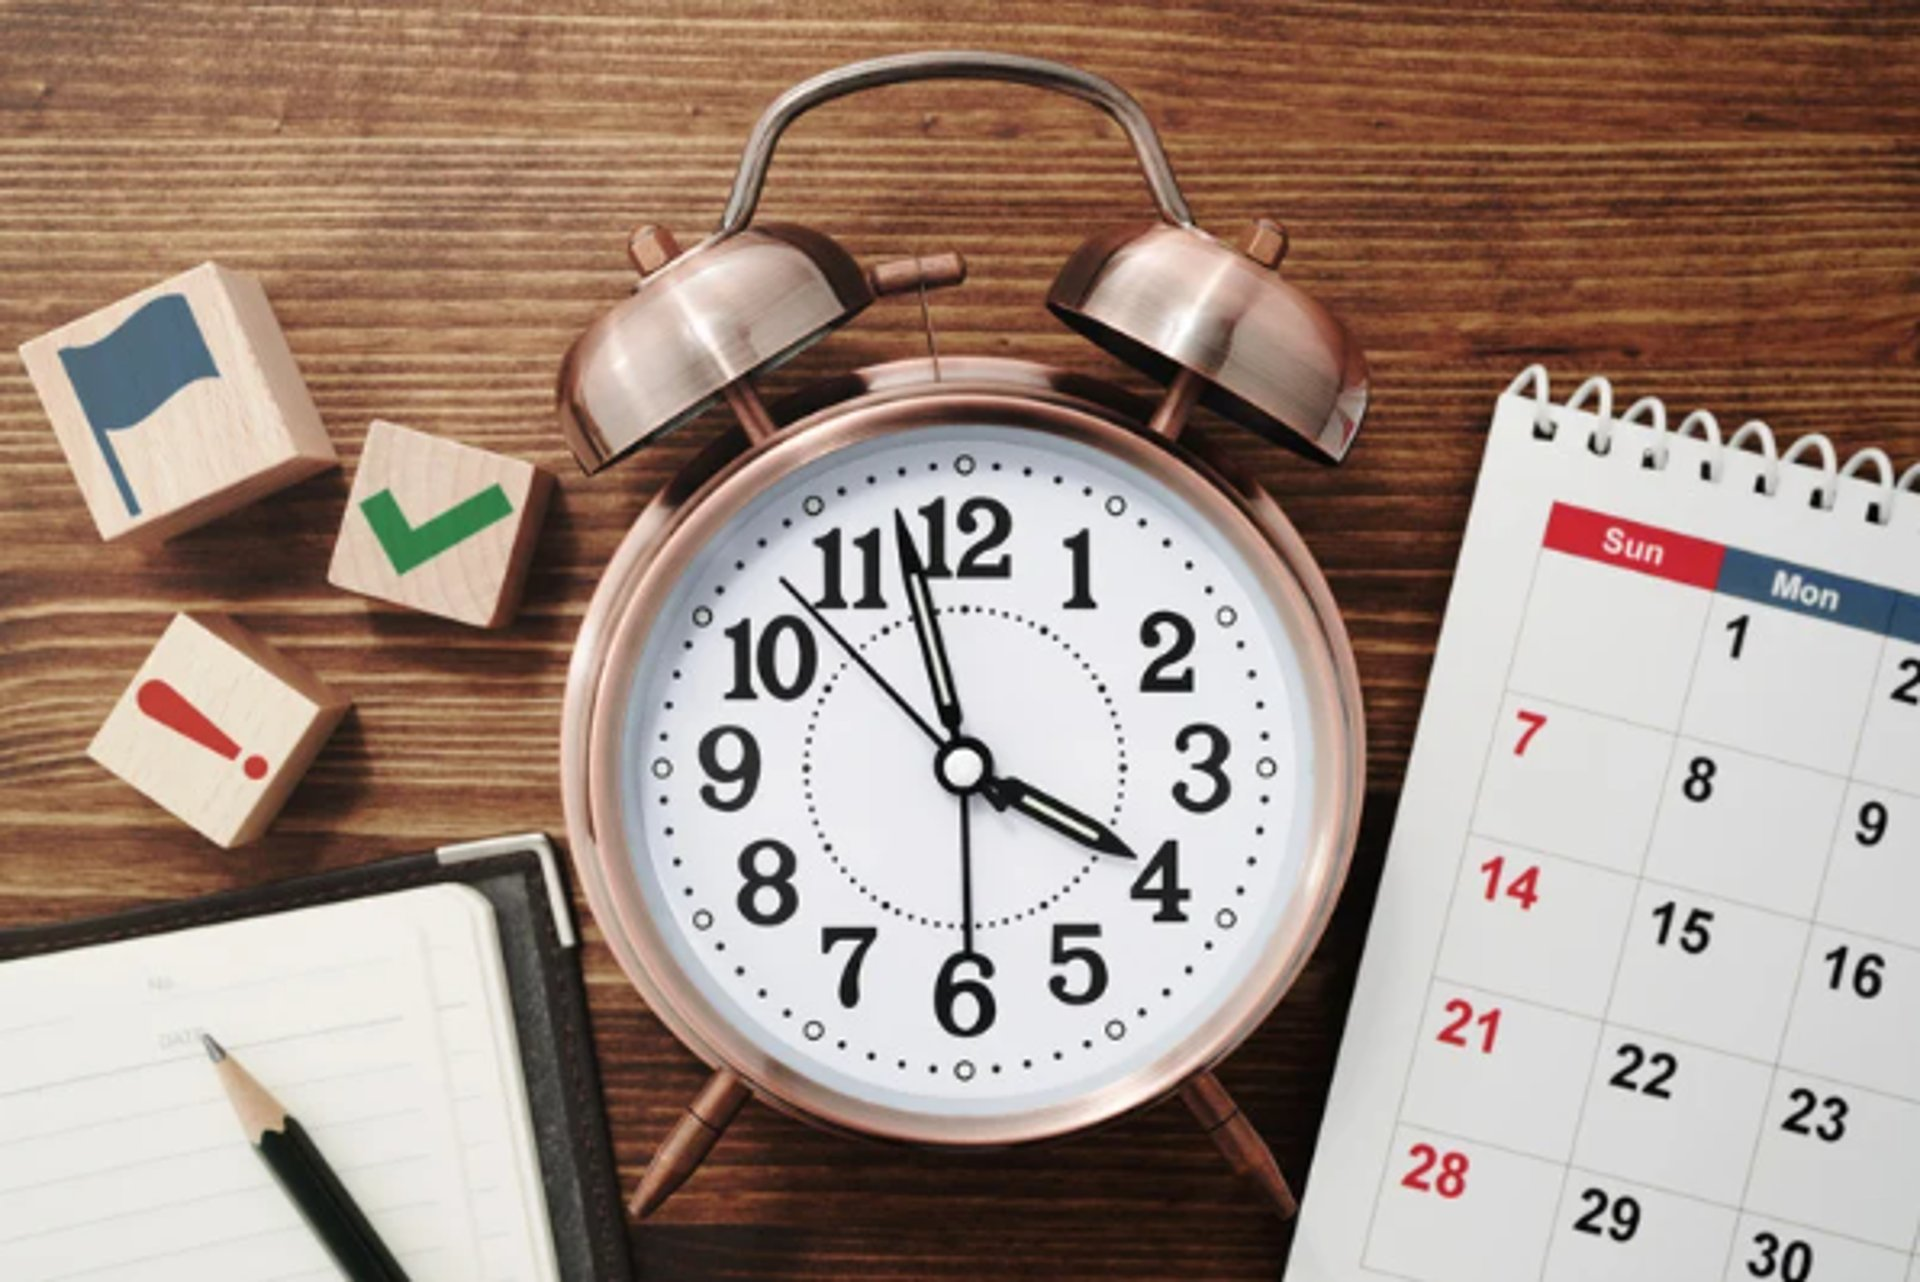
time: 3:57
